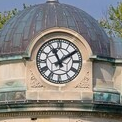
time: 11:09
